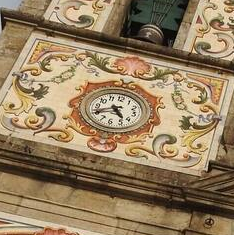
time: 4:40
